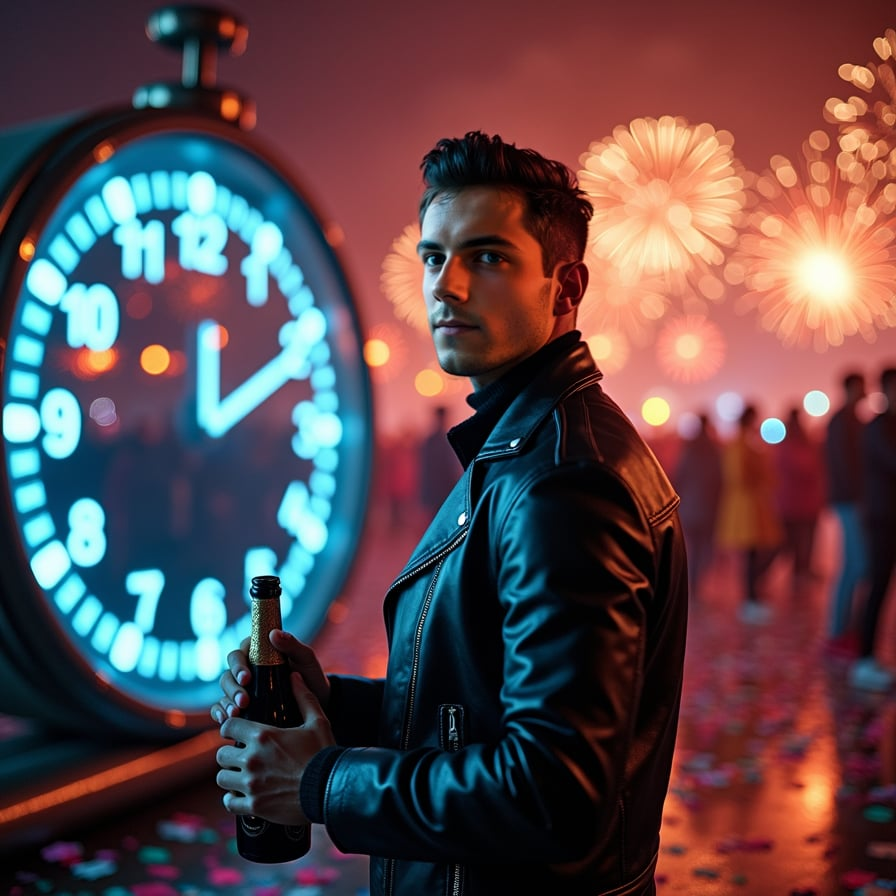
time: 12:10
